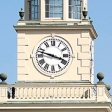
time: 3:47
